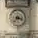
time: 3:37
